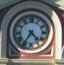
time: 4:35
